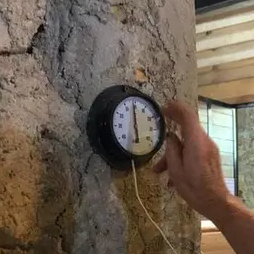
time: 5:59
